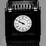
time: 9:50
